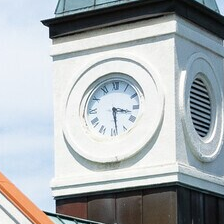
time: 3:28
